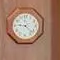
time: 9:22
